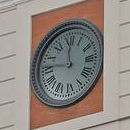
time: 11:46
